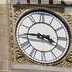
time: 3:45
